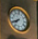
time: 7:40
